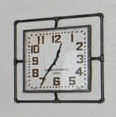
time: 12:35
